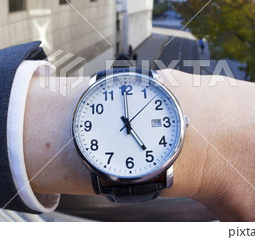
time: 4:59
